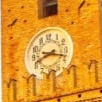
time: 8:17
